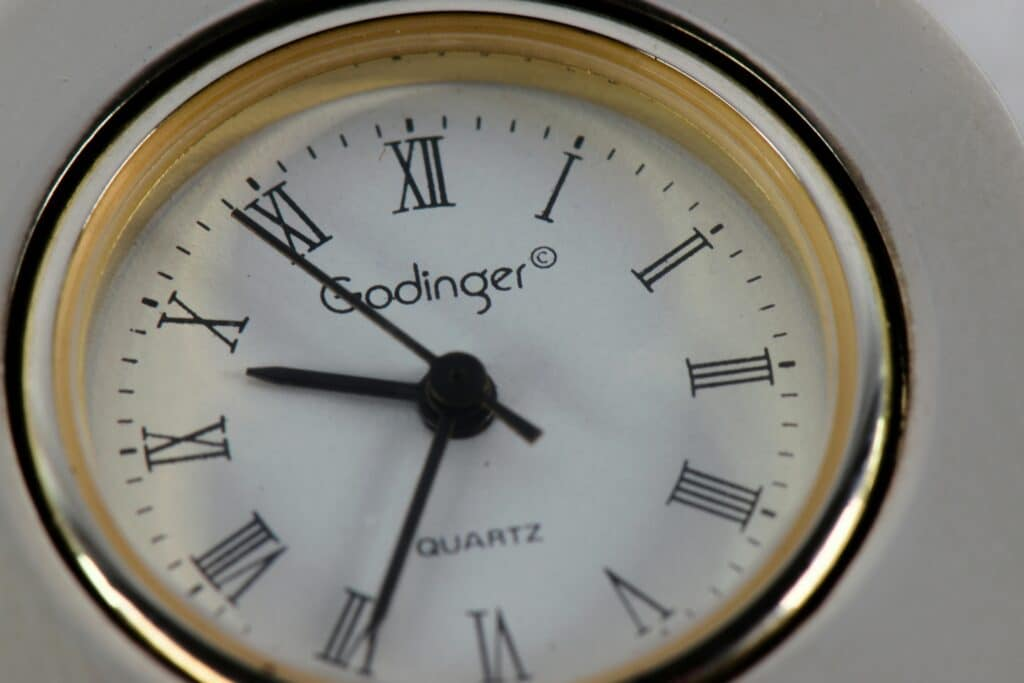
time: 9:34
